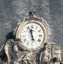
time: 11:56
